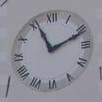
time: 11:11
